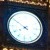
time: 7:50
